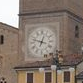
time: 12:47
